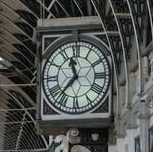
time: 11:36
